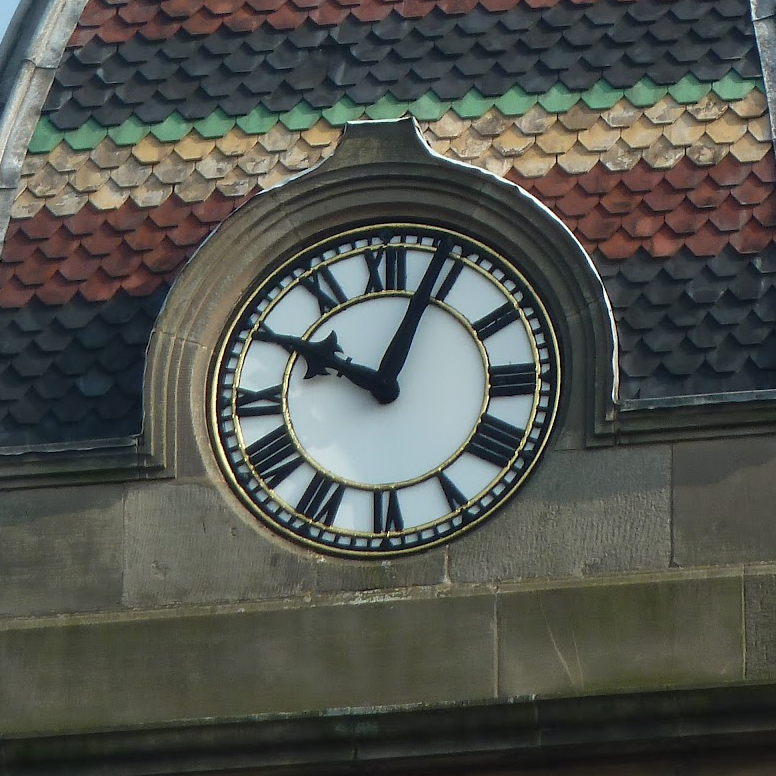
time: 10:03
